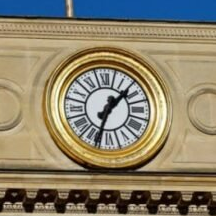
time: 1:33
